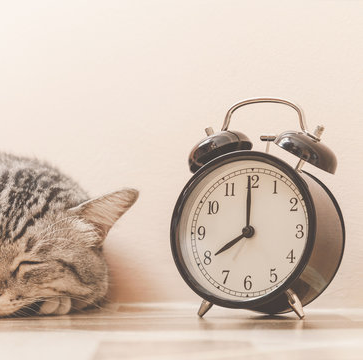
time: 8:00
